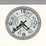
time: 4:38
